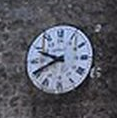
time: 9:41
